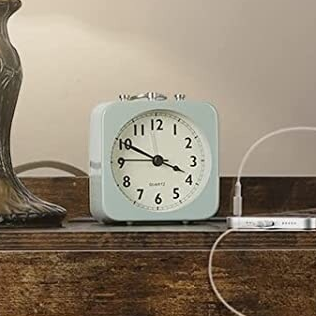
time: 3:49
